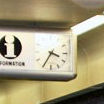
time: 3:34
